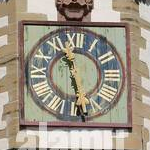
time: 11:28
